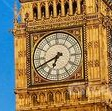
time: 6:41
